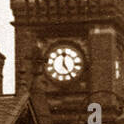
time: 5:00
